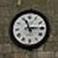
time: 11:14
